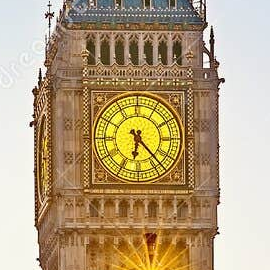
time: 6:23
